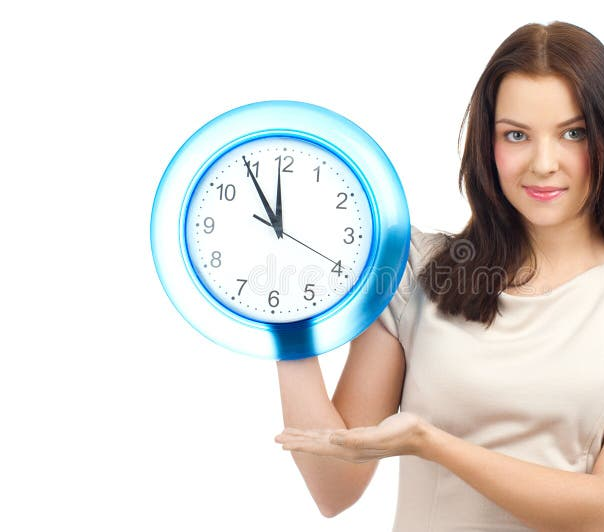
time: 11:54
